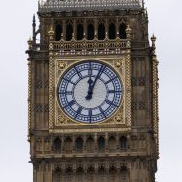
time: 12:04
